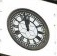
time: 11:57
